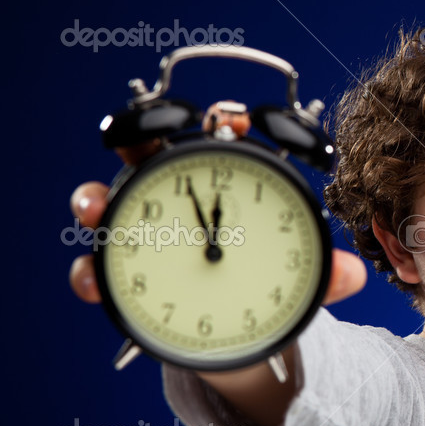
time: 11:55
